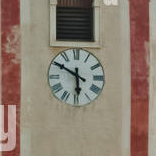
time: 5:50
